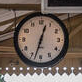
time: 12:32
